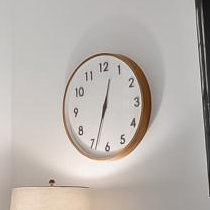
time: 12:33
